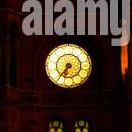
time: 6:35
